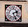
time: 2:26
